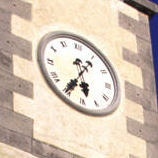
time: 5:35
